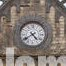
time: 4:39
